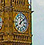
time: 12:07
